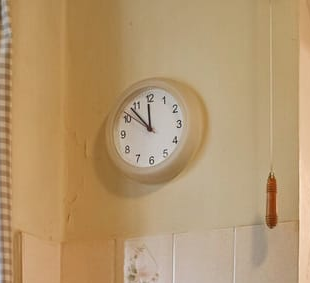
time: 11:52
